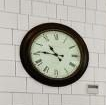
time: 10:45
